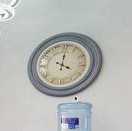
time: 4:01
